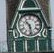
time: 10:28
